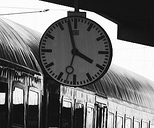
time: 3:57
